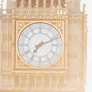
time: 7:11
